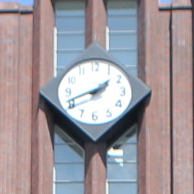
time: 1:41
